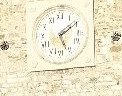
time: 5:09
